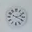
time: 2:18
